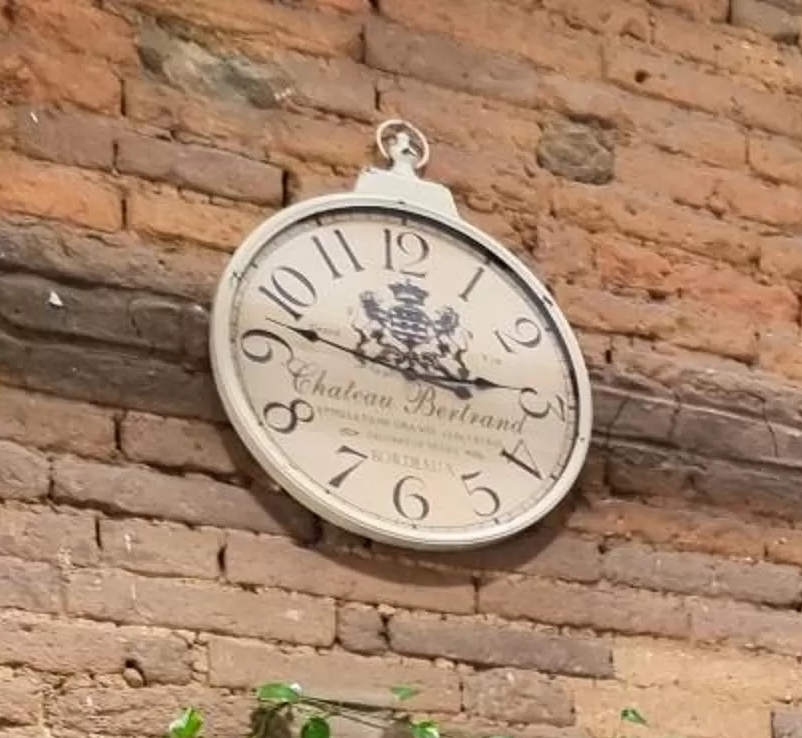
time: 2:46
